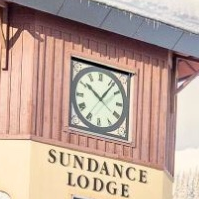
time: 10:06
